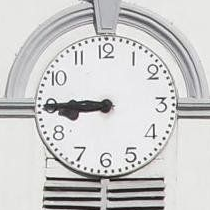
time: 8:45
